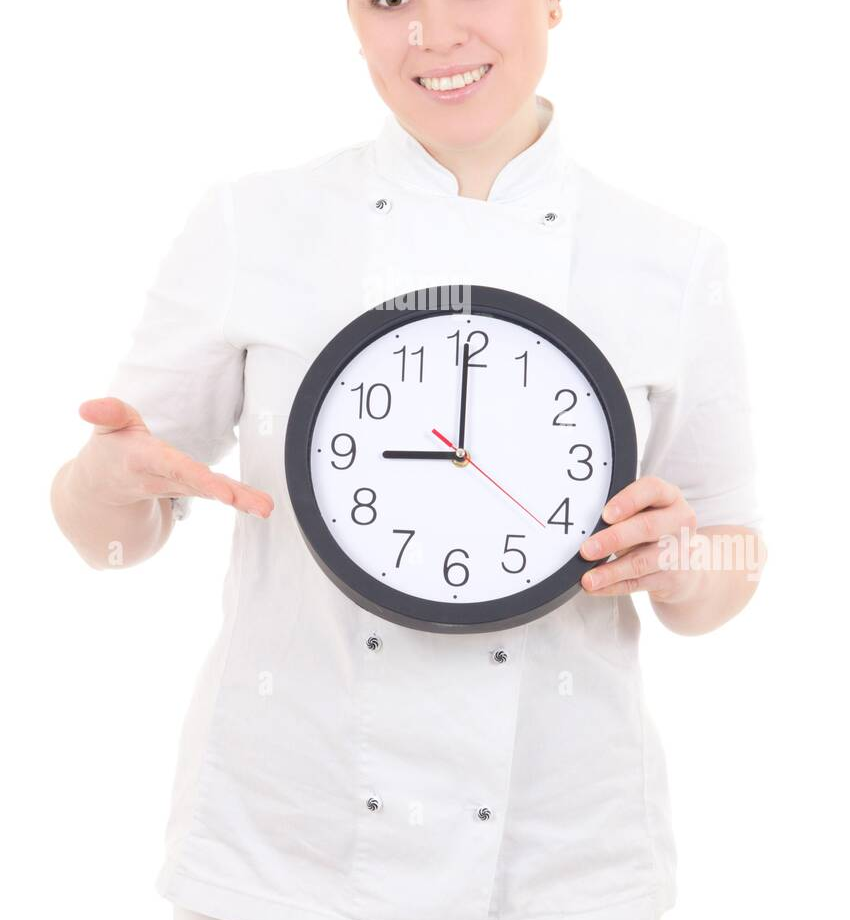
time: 9:00
